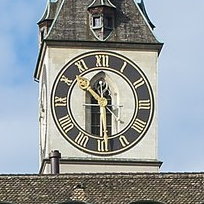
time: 10:29
